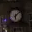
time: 6:08
